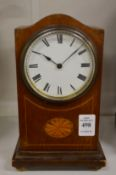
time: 10:07
